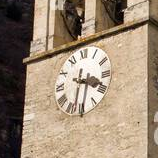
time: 3:32
